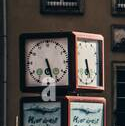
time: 5:26
